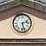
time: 2:27
